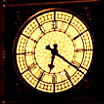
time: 6:20
